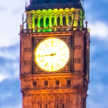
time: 8:44
